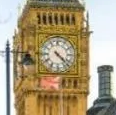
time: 4:22
